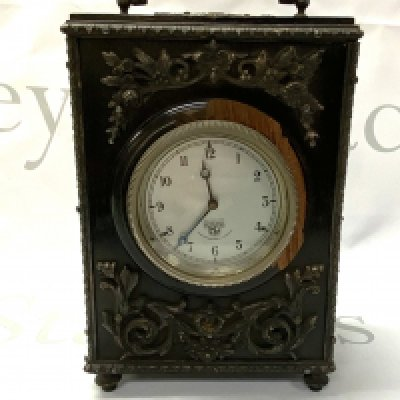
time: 11:37
